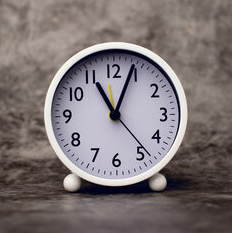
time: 11:04
